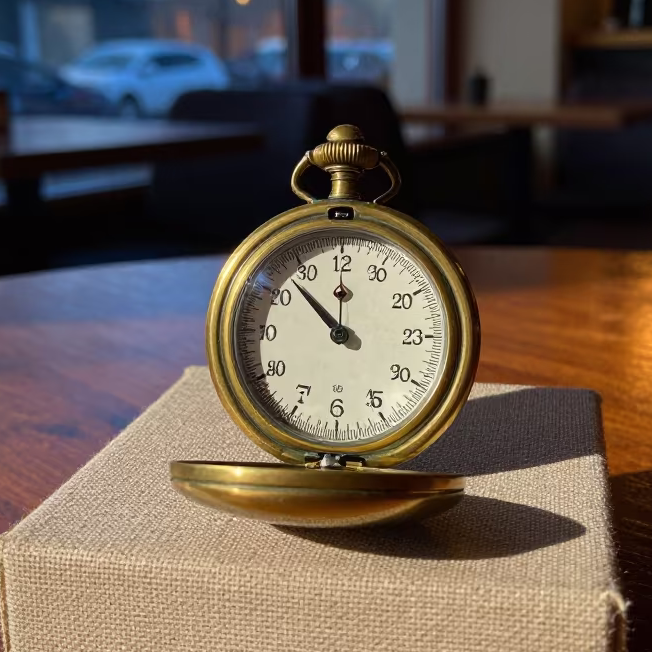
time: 11:52
